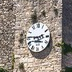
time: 2:46
